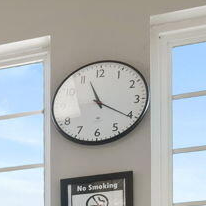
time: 11:20
